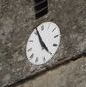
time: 4:56
